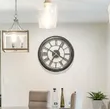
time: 7:04
